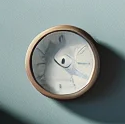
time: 10:20
